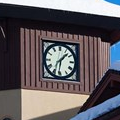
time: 1:31
